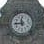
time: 11:44
